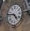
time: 4:46
